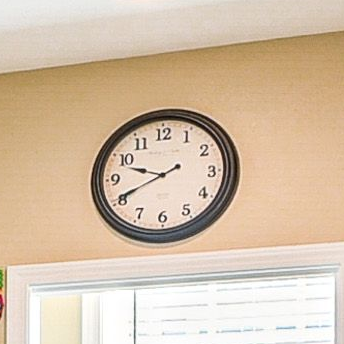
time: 9:40
